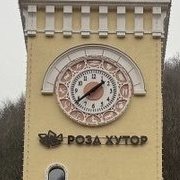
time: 1:37
